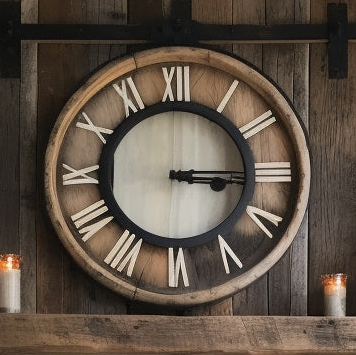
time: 3:15
